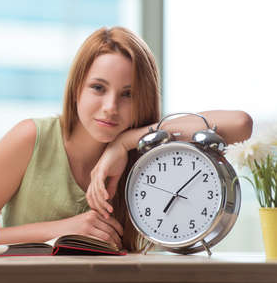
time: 7:07
